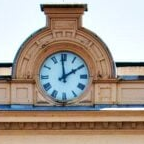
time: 1:59
